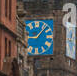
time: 9:07
